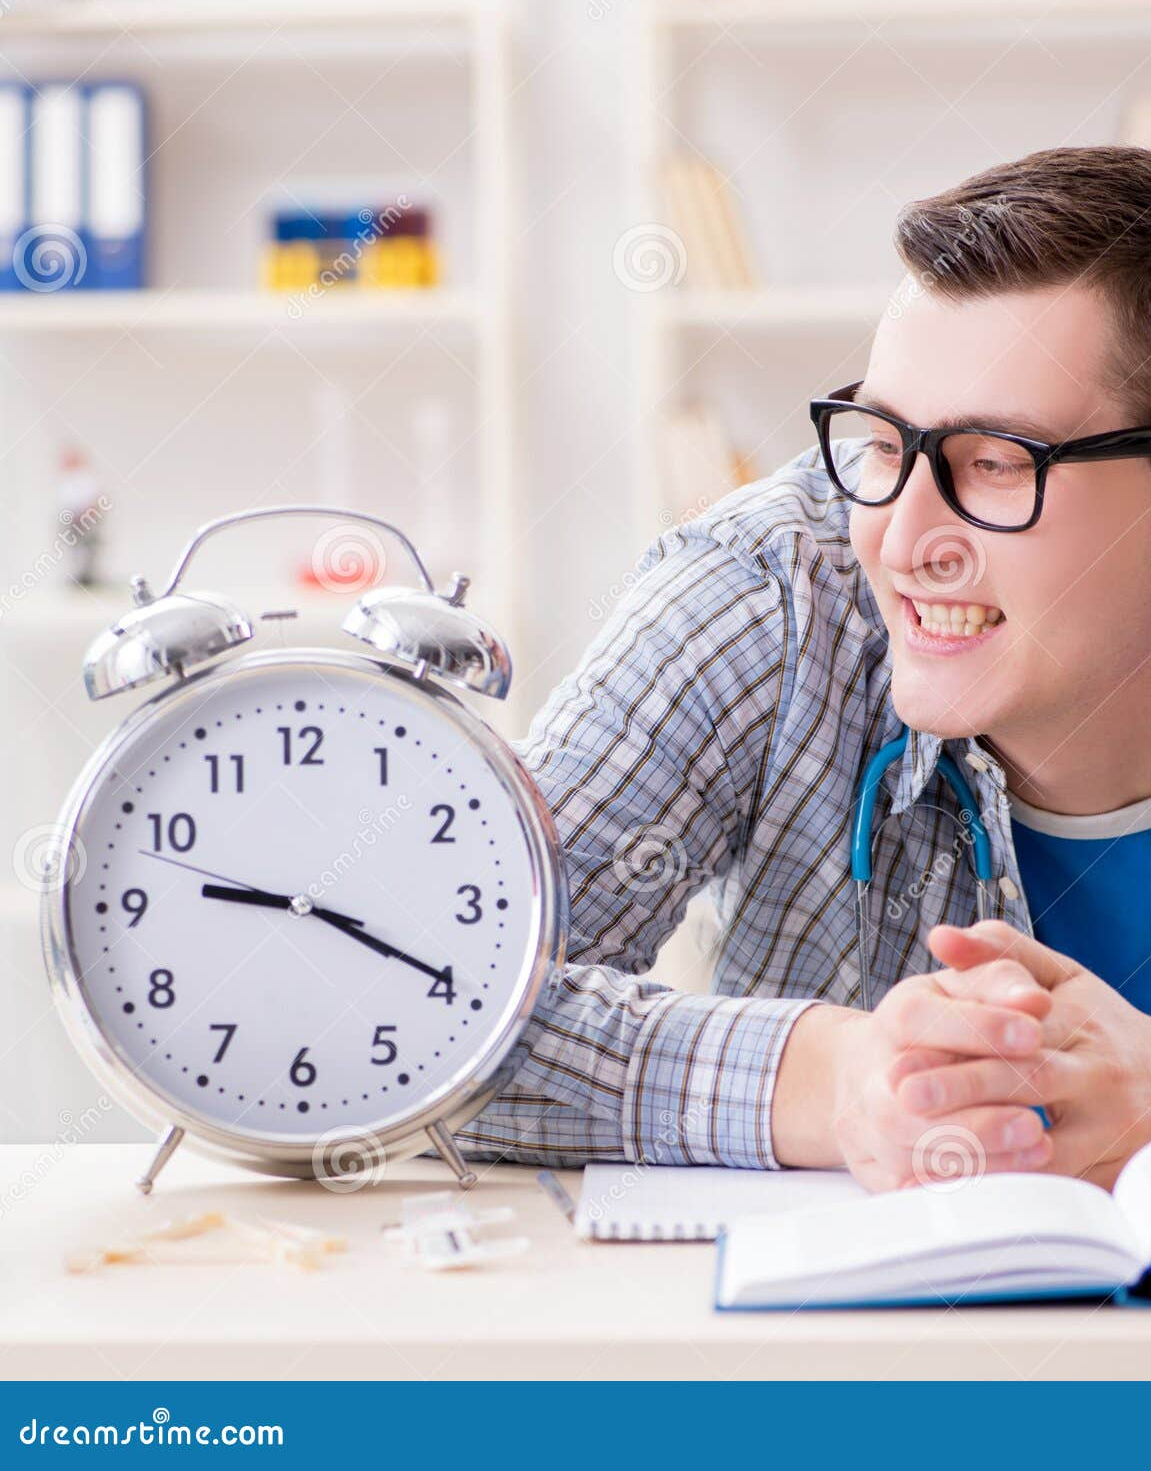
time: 9:19
